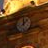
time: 12:07
